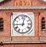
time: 9:01
